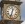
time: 12:32
